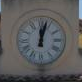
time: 12:02
